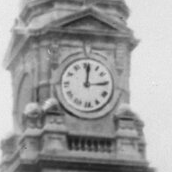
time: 12:14
